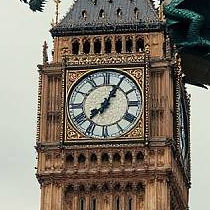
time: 8:05
